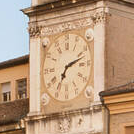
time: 7:12
